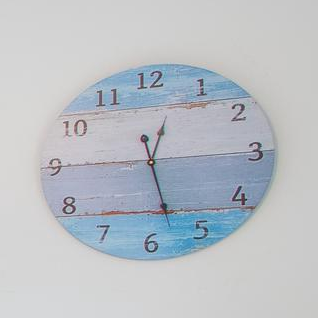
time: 12:27
